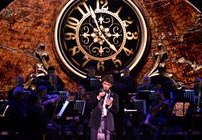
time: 11:22
